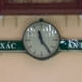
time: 11:24
